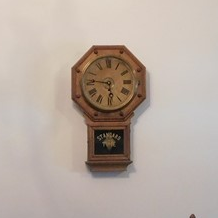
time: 5:45
